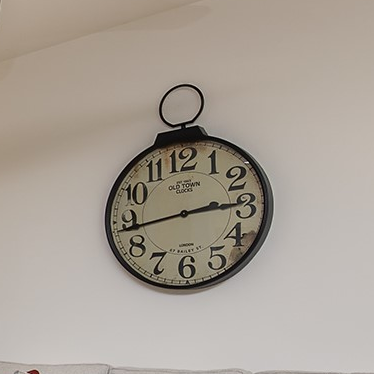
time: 2:43
